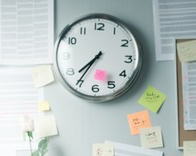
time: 7:35
